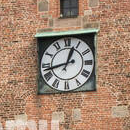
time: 12:42
